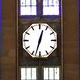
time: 12:32
